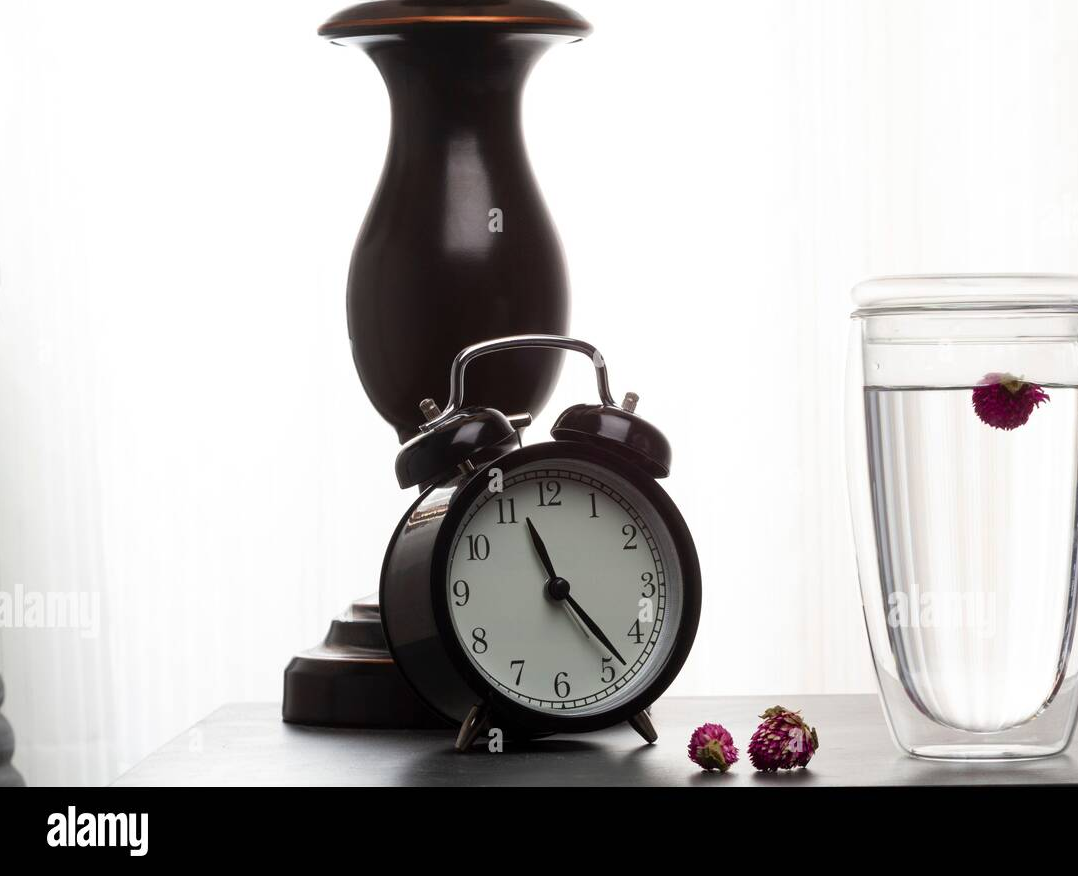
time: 11:23
